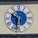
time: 10:31
